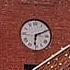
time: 6:11
